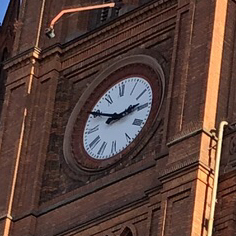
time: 2:49
